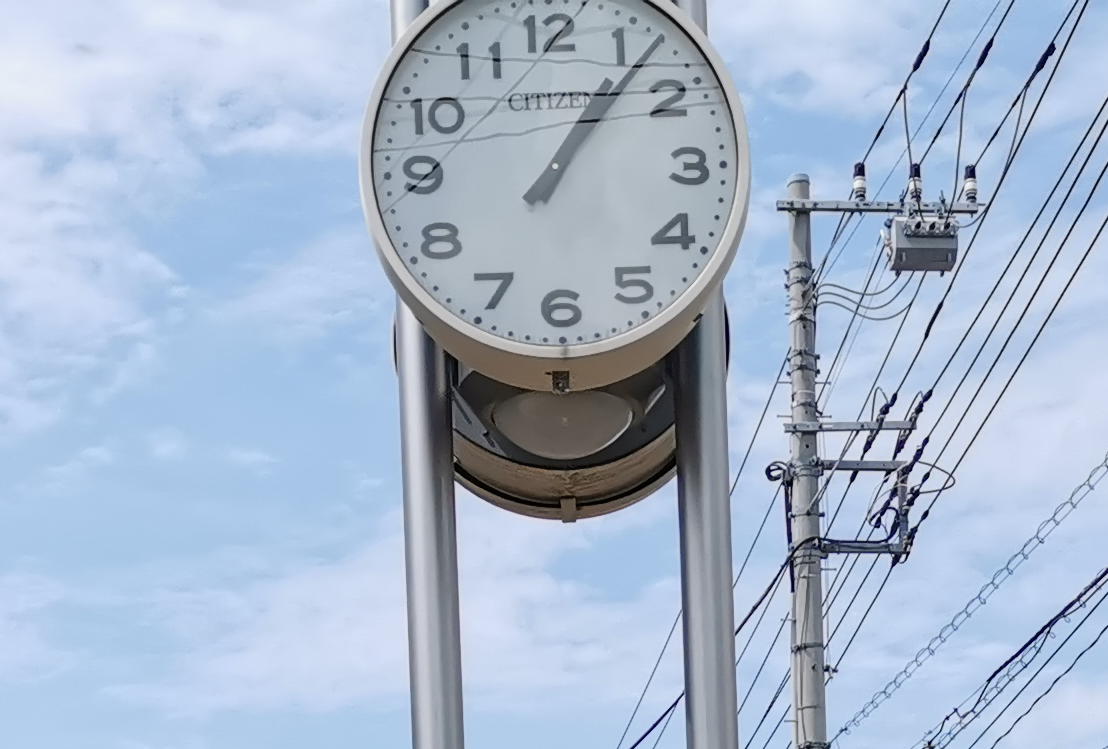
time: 1:06
